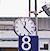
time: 12:23
